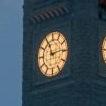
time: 11:13
